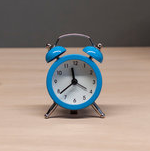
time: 11:38
